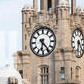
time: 6:23
